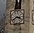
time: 3:39
